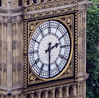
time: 2:30
